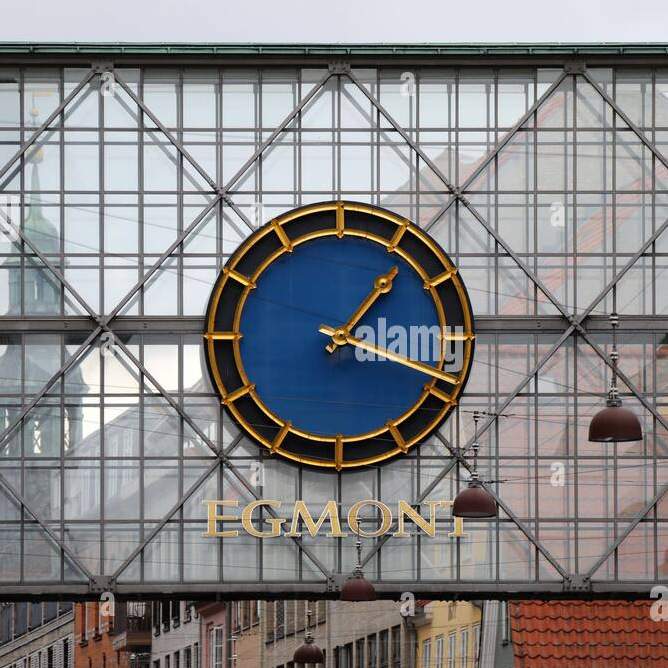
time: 1:18
